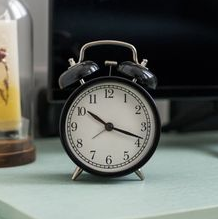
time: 10:18
